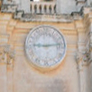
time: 9:13
